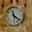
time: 11:21
